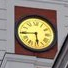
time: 5:44
